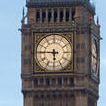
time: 5:45
